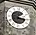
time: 1:17
